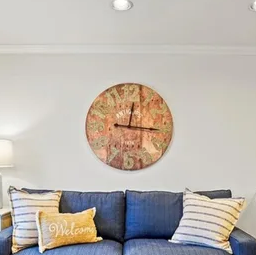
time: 12:16
